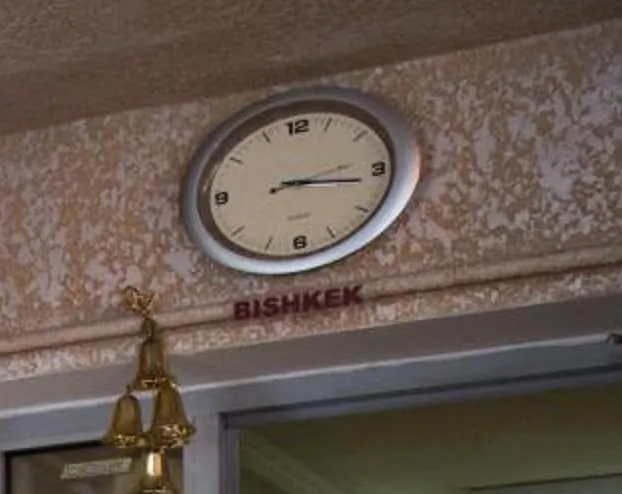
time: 3:16
